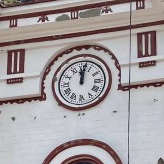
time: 12:01
